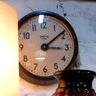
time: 3:08
